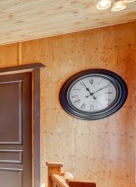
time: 11:09
